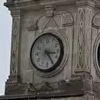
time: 3:24
